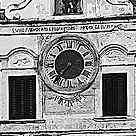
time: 7:37
